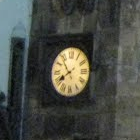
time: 7:53
